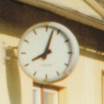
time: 8:02
